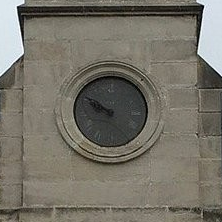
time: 9:50
